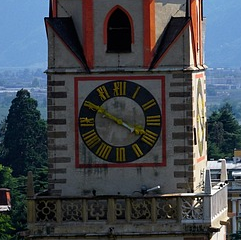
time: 3:49
